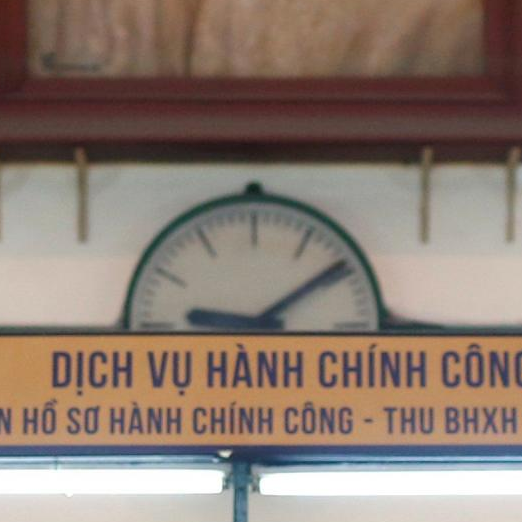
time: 9:09
